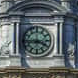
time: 3:43
